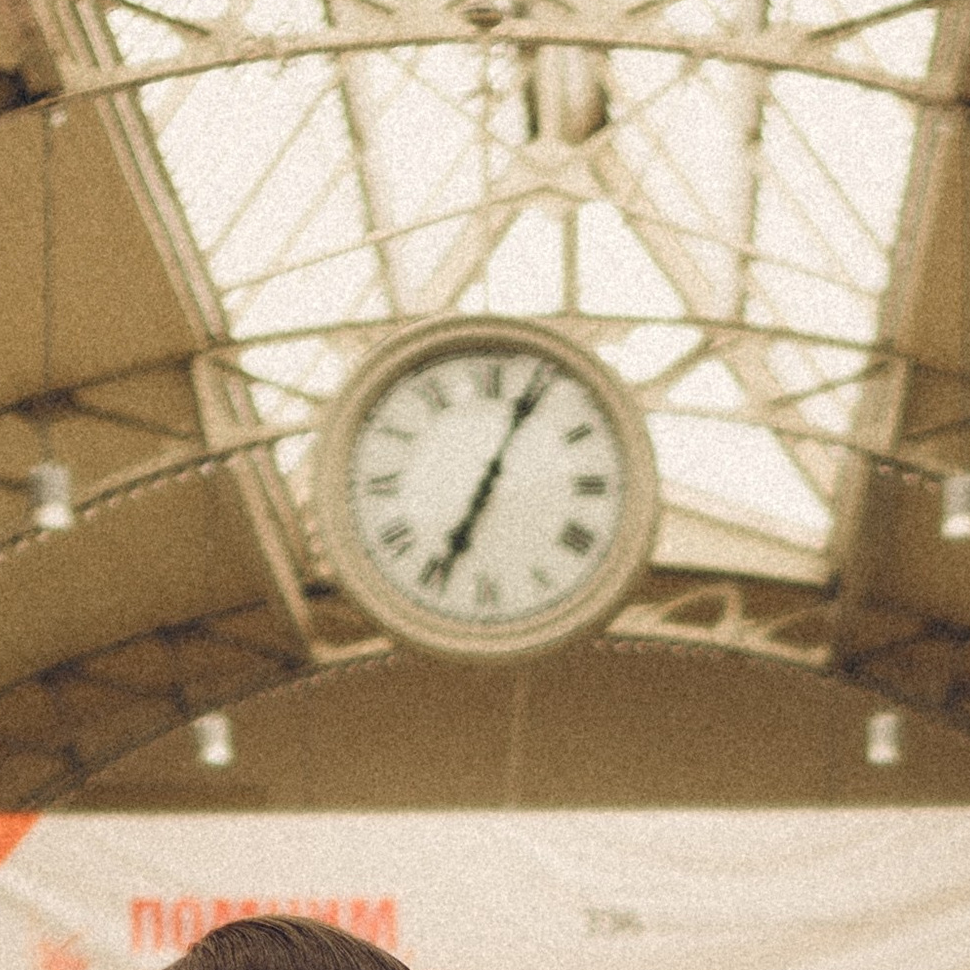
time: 7:04
